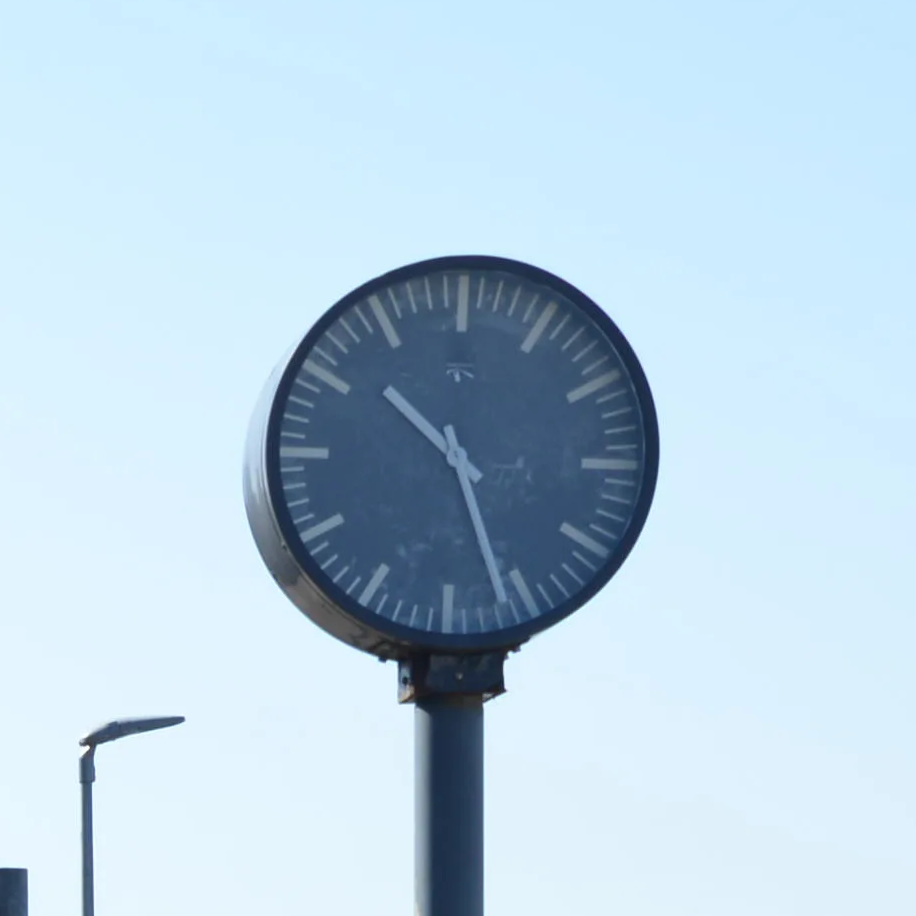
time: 10:26
